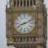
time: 8:11
